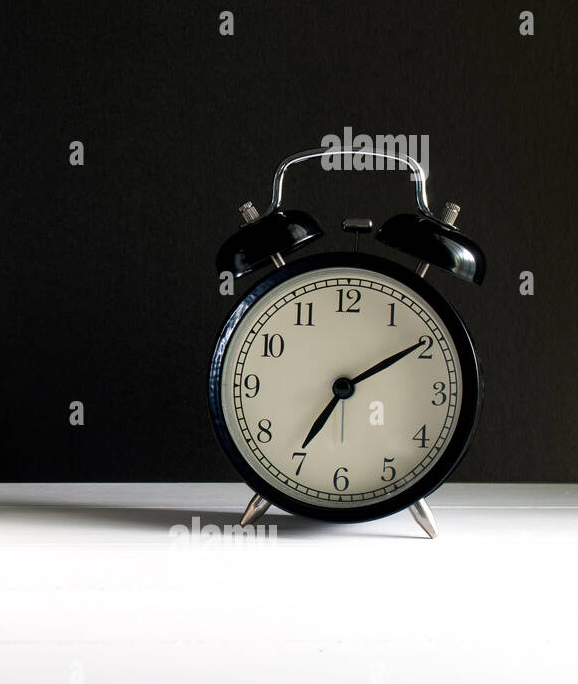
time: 7:09
